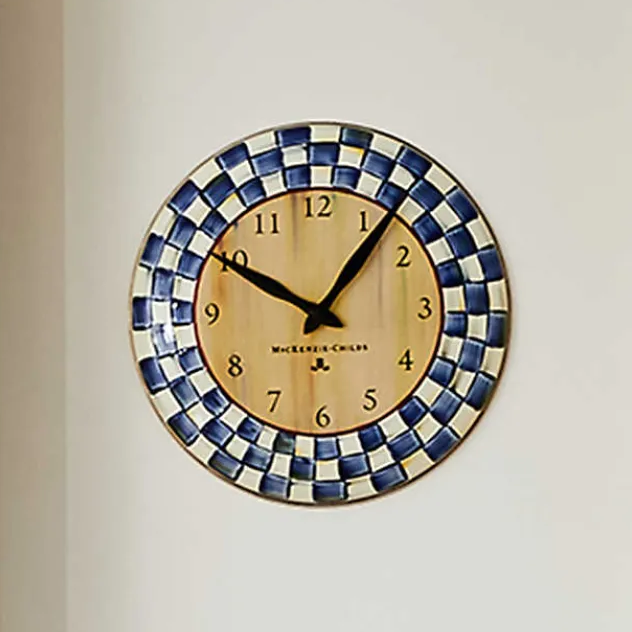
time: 10:06
